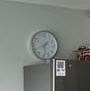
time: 1:28
